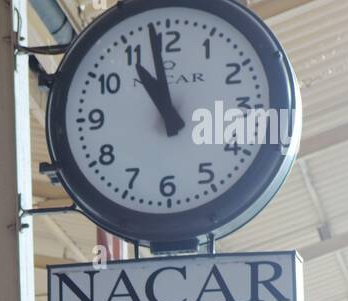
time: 10:58
